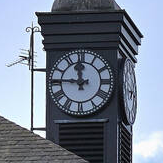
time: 11:45
